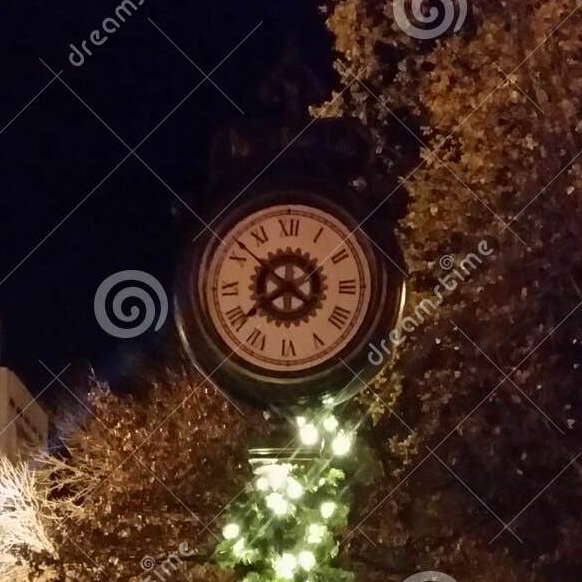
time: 7:51
